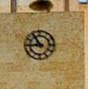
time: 8:54
